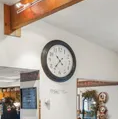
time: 10:36
